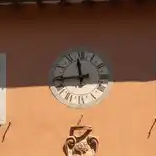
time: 11:44
